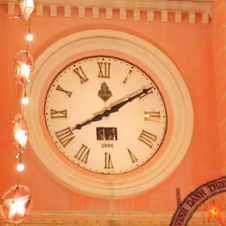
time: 8:09
